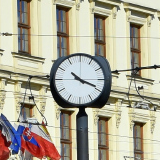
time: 10:18
